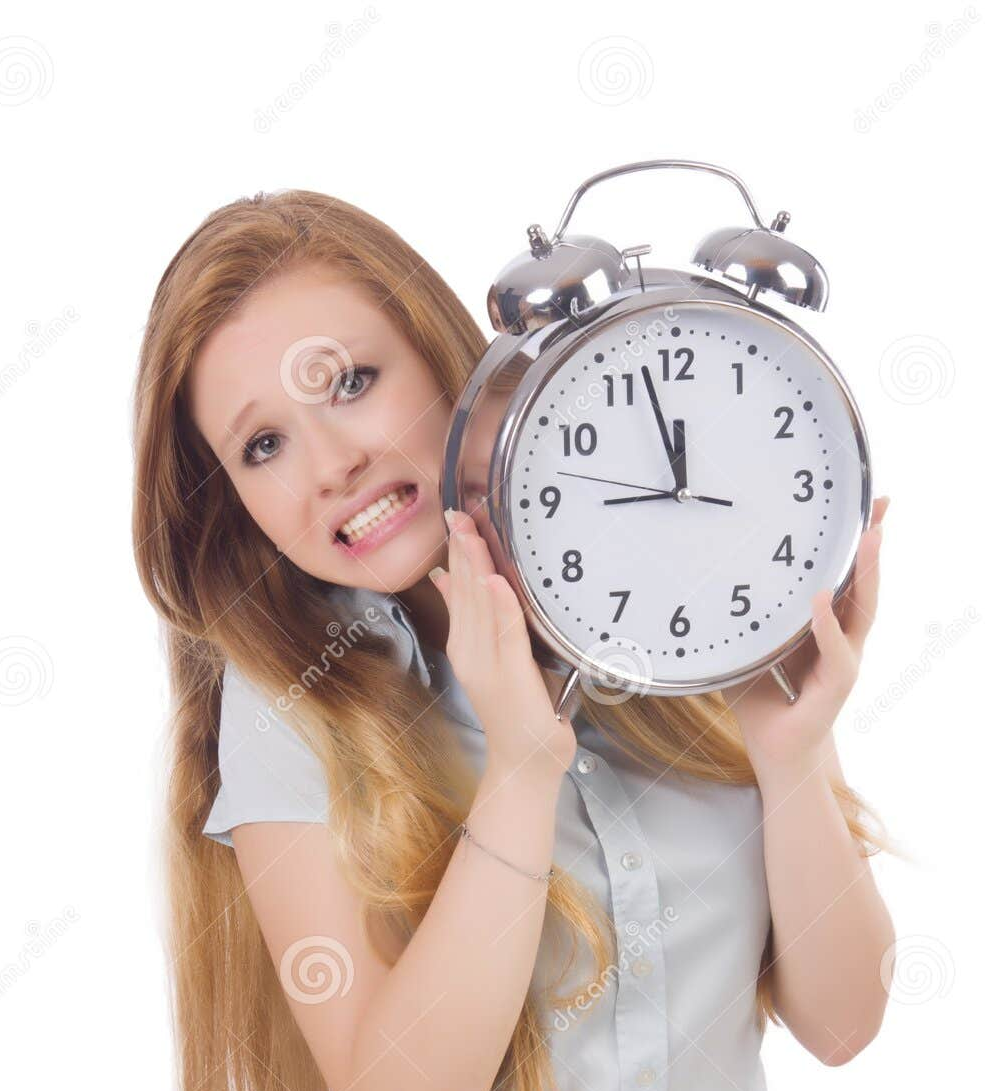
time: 8:57
